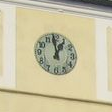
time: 12:58
